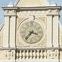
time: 3:36
